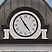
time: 4:54
